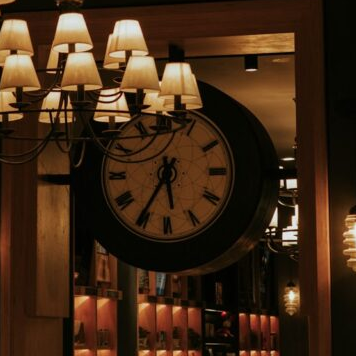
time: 5:35
